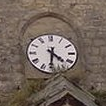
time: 4:30
